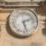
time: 2:27
